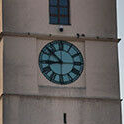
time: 8:52
